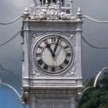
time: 11:03
